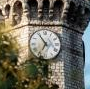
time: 6:54
